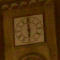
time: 5:59
